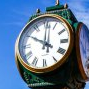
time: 10:00
